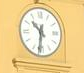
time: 10:31
